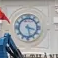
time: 3:27
